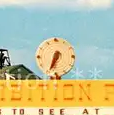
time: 6:34
